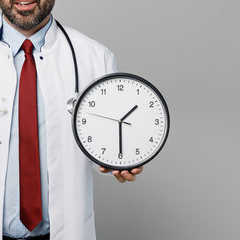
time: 1:29
